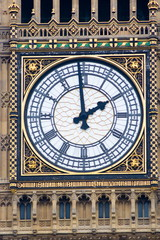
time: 1:59
